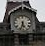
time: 5:33
